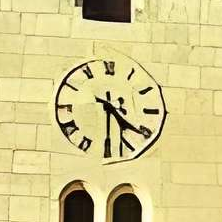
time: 4:29
